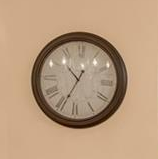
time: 10:34
